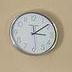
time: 3:08
